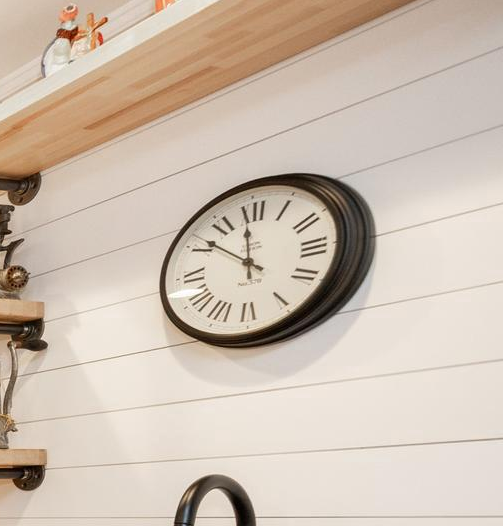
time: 11:51
